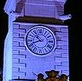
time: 10:41
